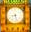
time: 8:27
